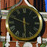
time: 5:48
